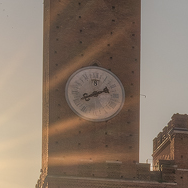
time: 8:11
